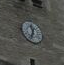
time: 11:33
